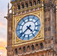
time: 4:38
